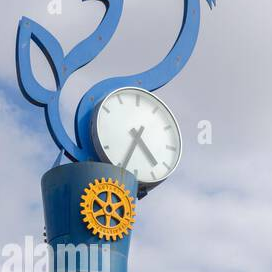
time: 4:34
